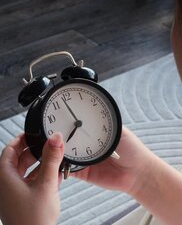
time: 7:58
